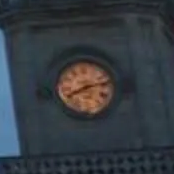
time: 8:12
